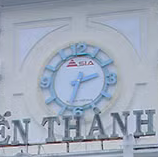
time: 2:32
